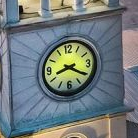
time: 8:20
